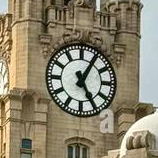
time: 5:05
